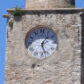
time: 1:27
